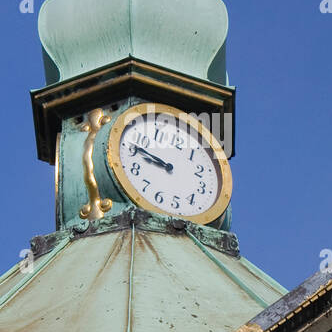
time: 8:46
